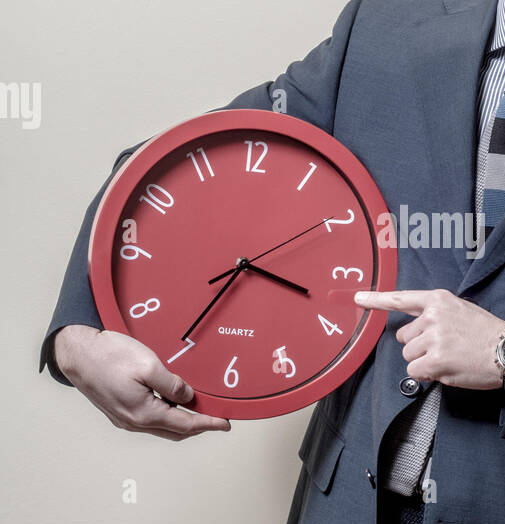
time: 3:35
